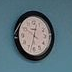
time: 12:32
